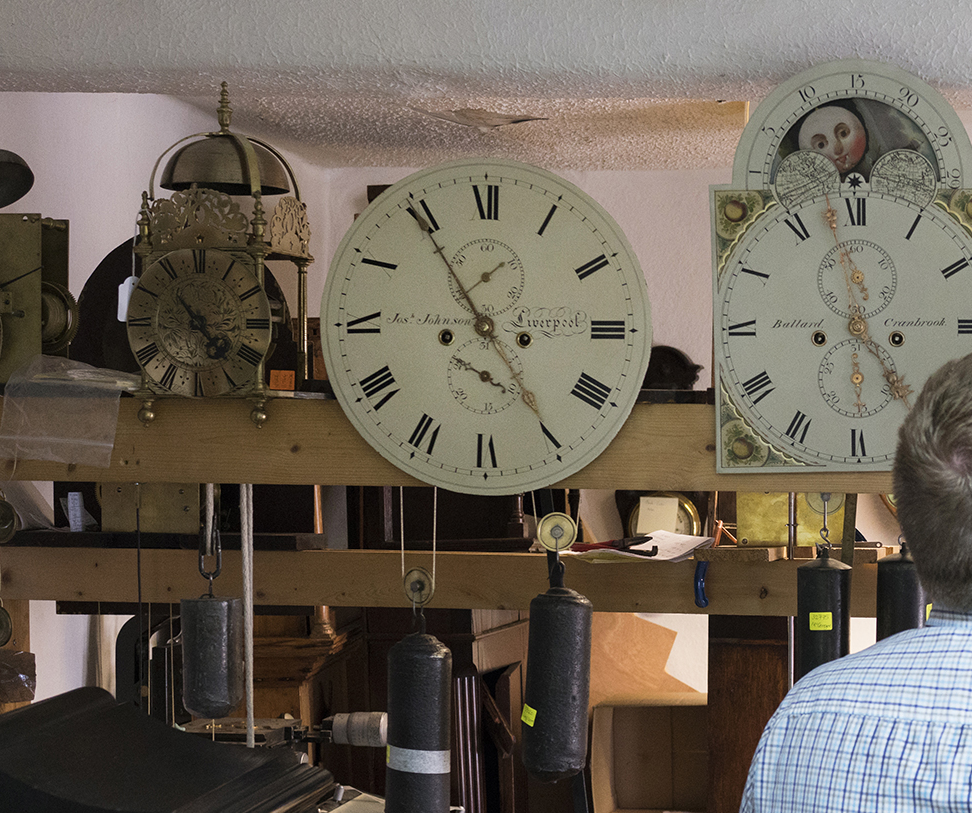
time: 4:54
